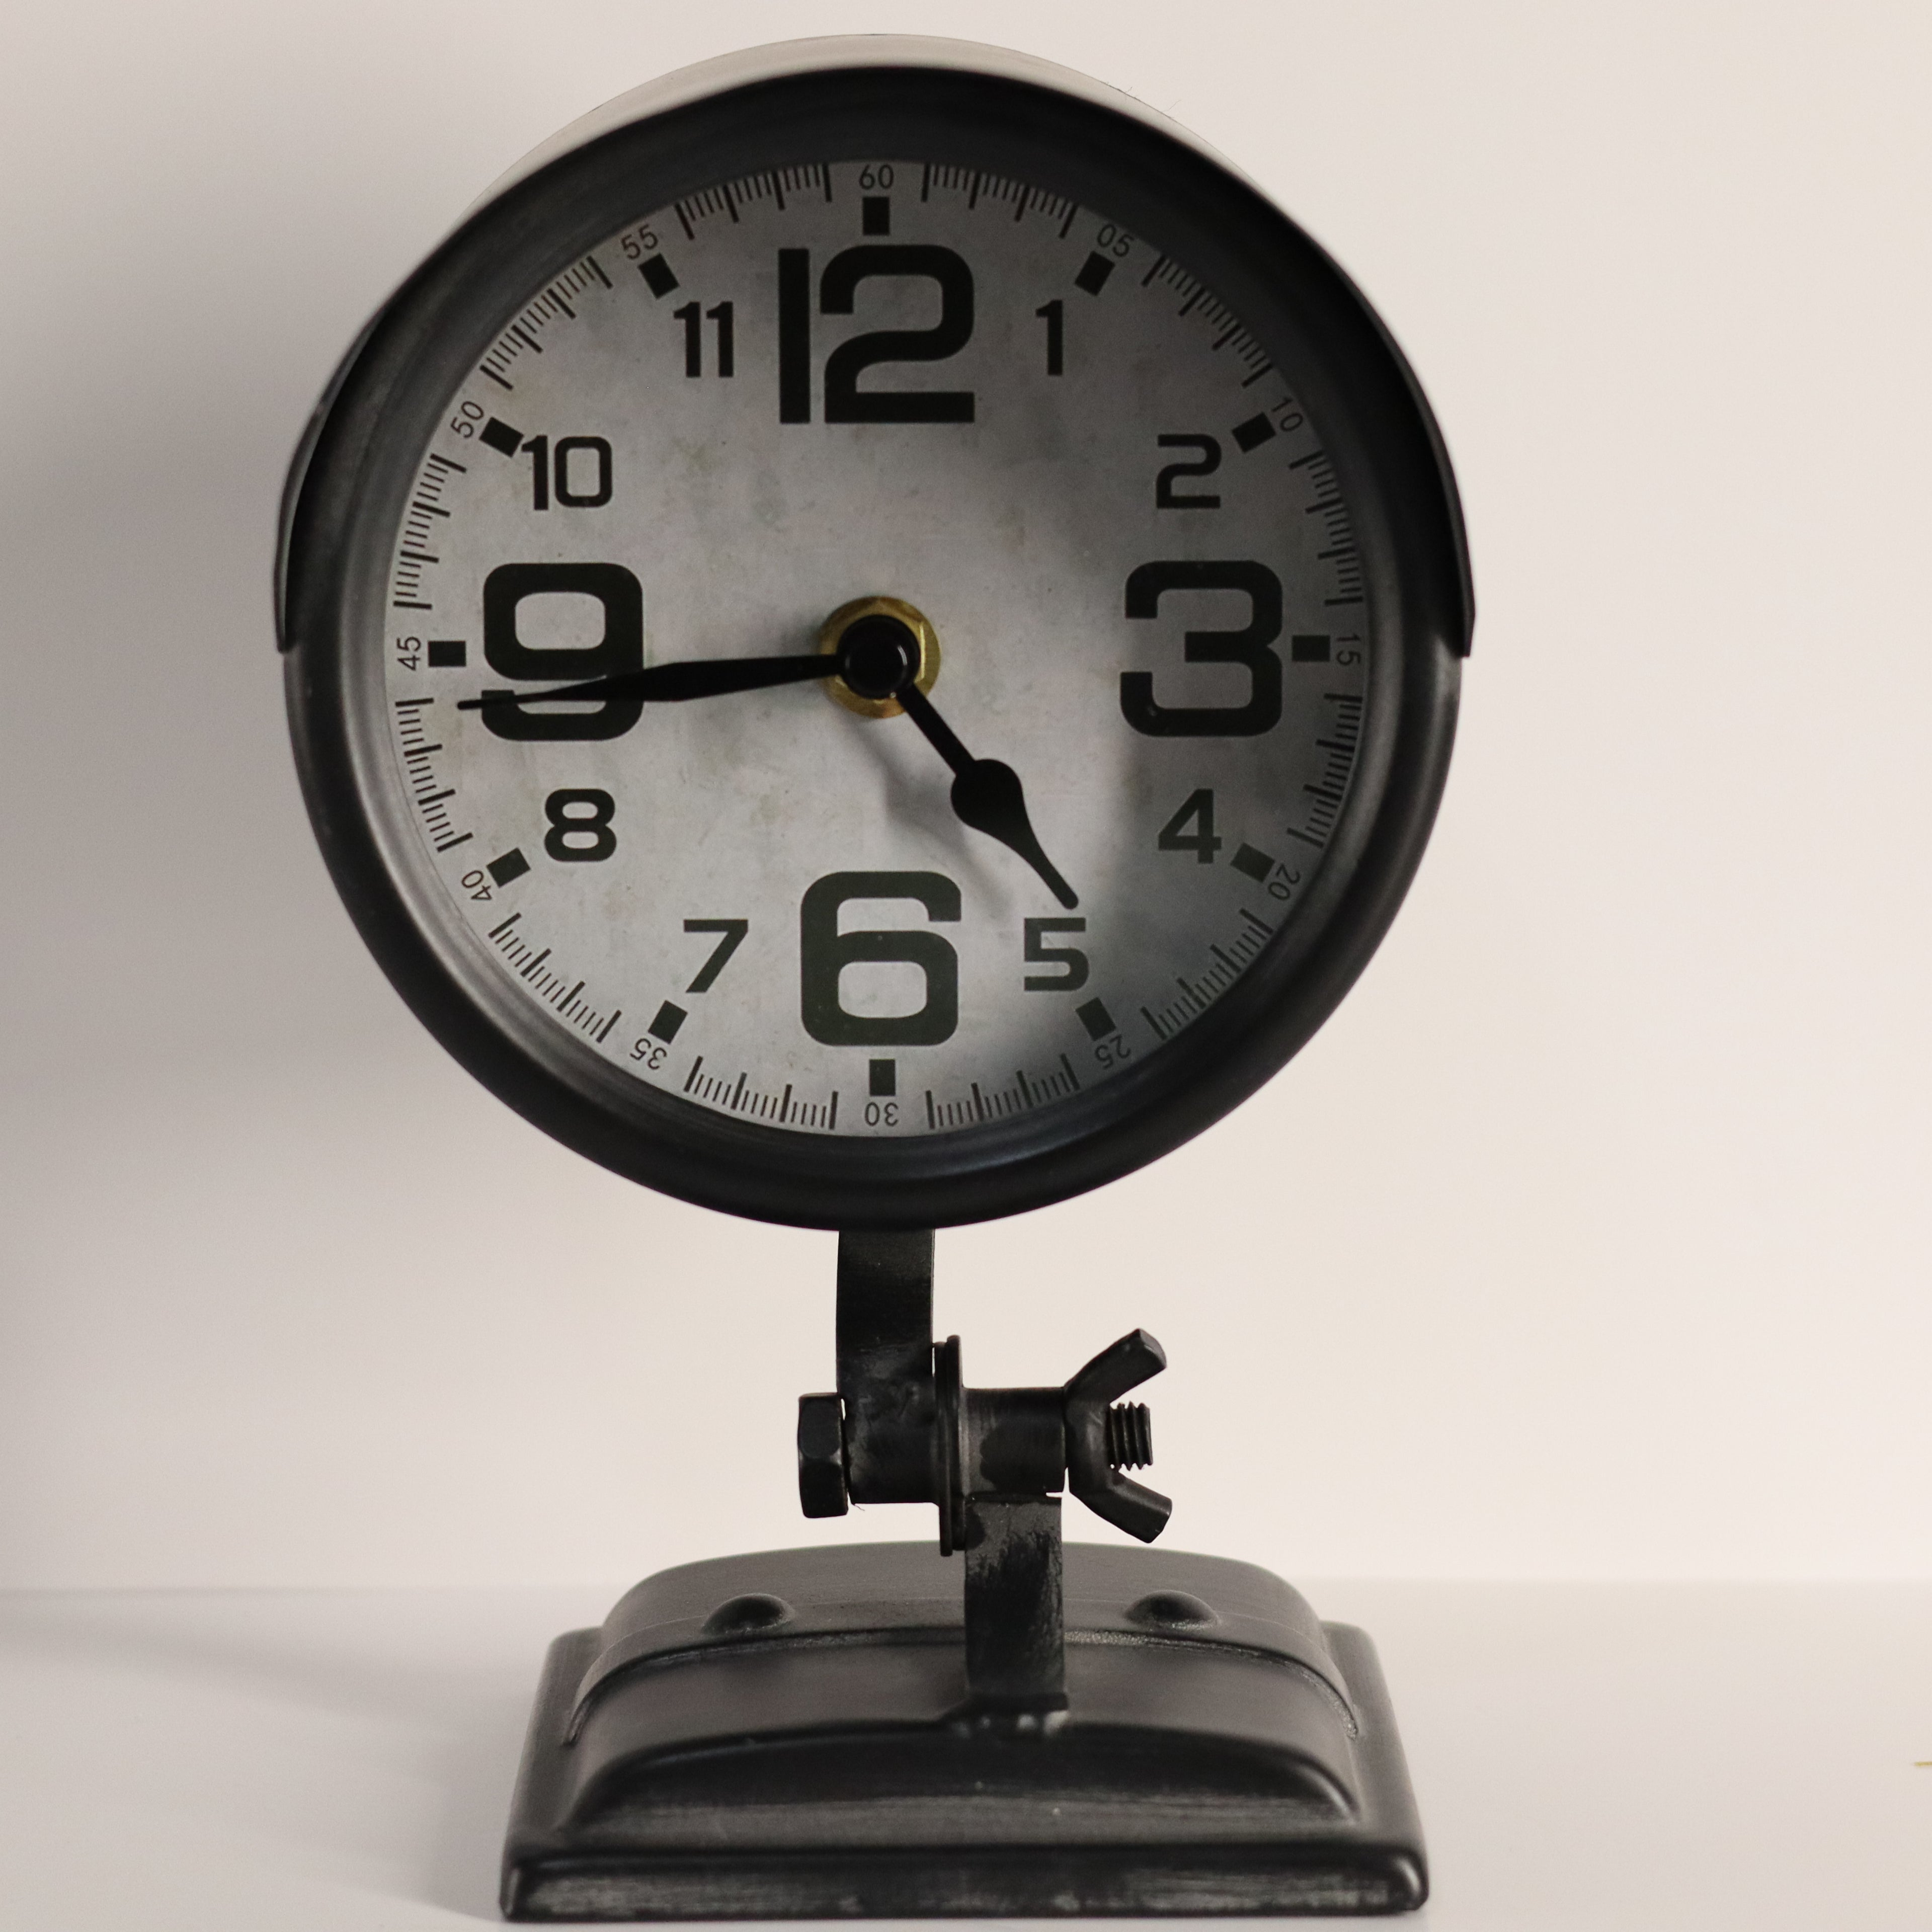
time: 4:44
